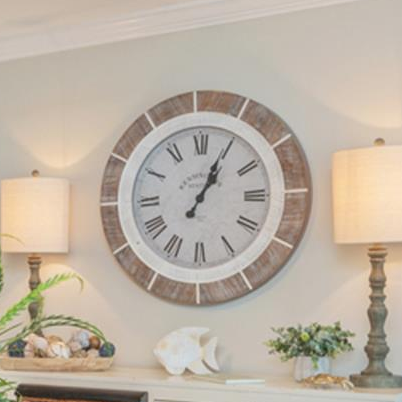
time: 1:04
